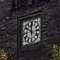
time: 11:50
